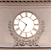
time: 6:51
